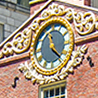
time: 11:22
